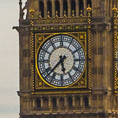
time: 5:37
